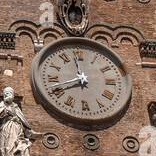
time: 11:40
